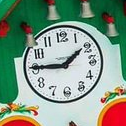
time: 1:45
